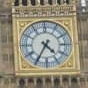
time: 4:35
